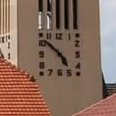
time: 4:51
